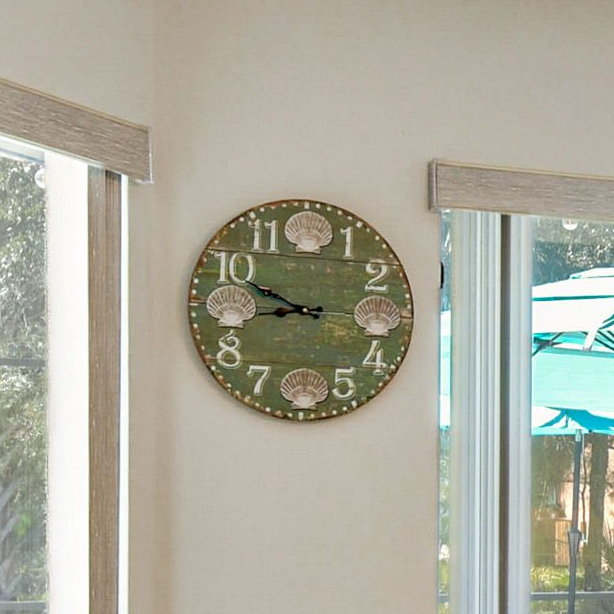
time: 8:48
